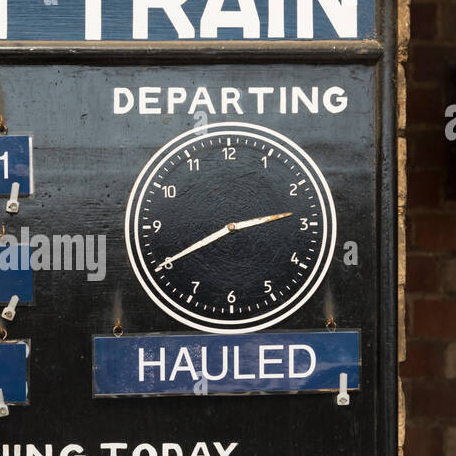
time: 2:40
